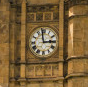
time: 2:58
